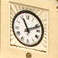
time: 11:11
